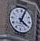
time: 4:03
